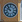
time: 9:53
